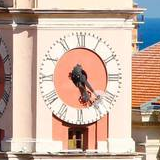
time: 5:22
